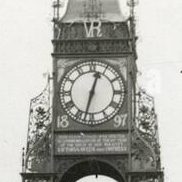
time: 12:32
